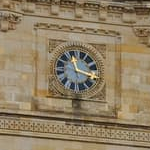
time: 11:17
